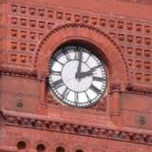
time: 2:01
